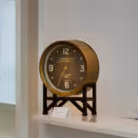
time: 12:34
